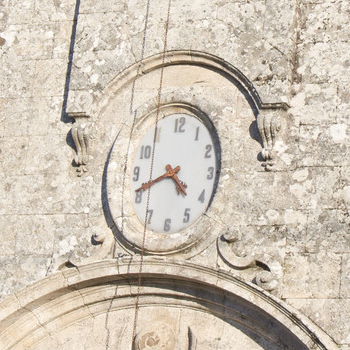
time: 4:41
